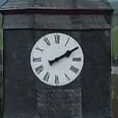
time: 2:09
